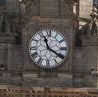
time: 11:20
